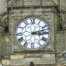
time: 3:12
